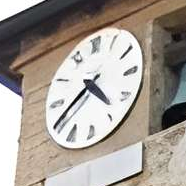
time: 4:40
